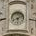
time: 6:11
